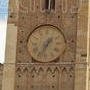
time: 1:33
